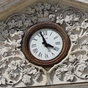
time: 3:57
